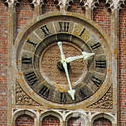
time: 2:27
